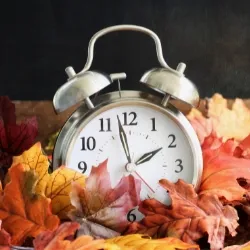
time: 1:57
